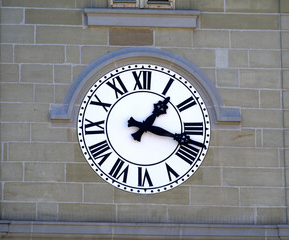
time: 1:17
